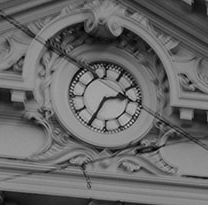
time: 2:34
